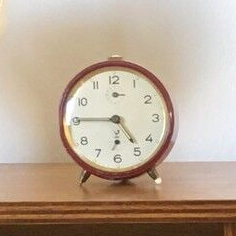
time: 4:45
